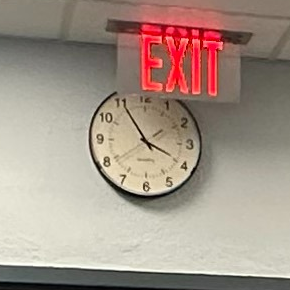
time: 3:54
